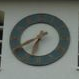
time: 6:40
